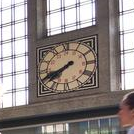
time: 7:41
